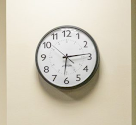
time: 6:13
